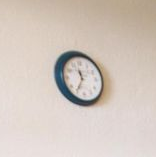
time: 11:35
